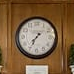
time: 7:34
